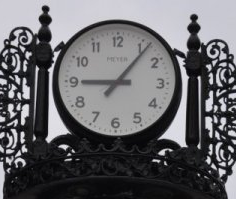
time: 9:06
